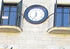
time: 11:34
